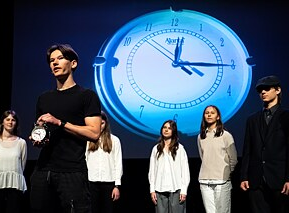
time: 12:15
